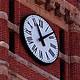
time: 11:07
